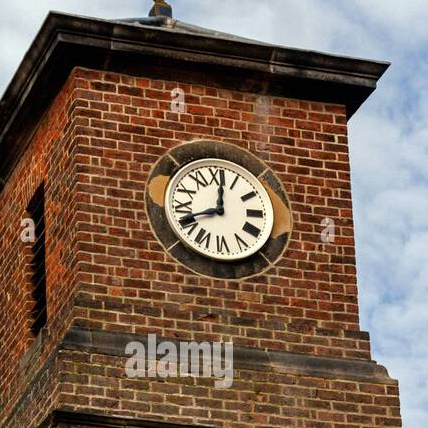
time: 8:01
